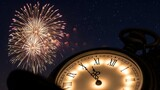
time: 11:55
